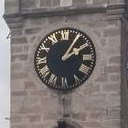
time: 2:05
